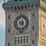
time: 8:27
